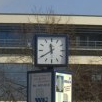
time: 11:39
